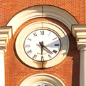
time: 4:30
